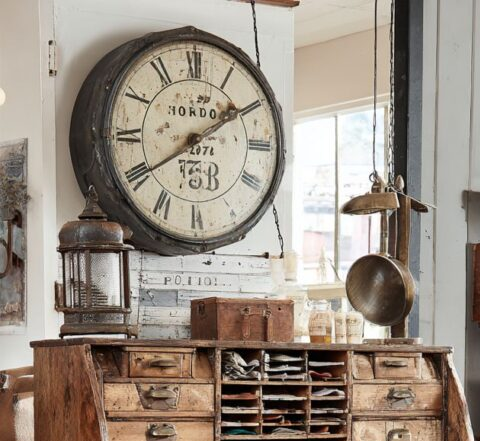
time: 1:09
